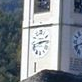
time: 2:42
